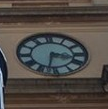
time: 3:32
